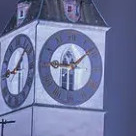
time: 9:08
